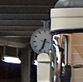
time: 6:34
